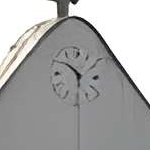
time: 5:51
